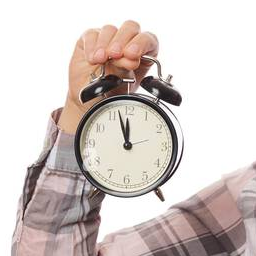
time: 11:57
